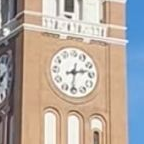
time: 2:31
